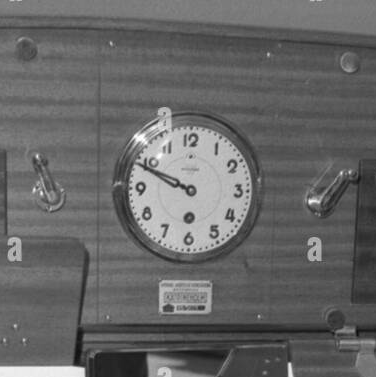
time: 9:49
